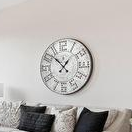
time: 12:52
